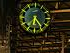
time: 6:24
